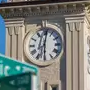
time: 6:01
